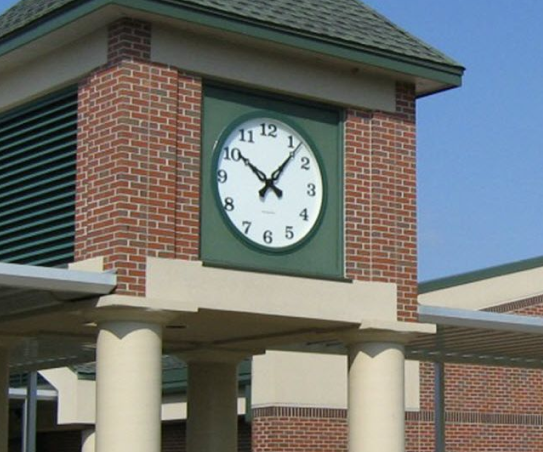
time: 10:06
